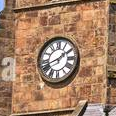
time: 1:41
